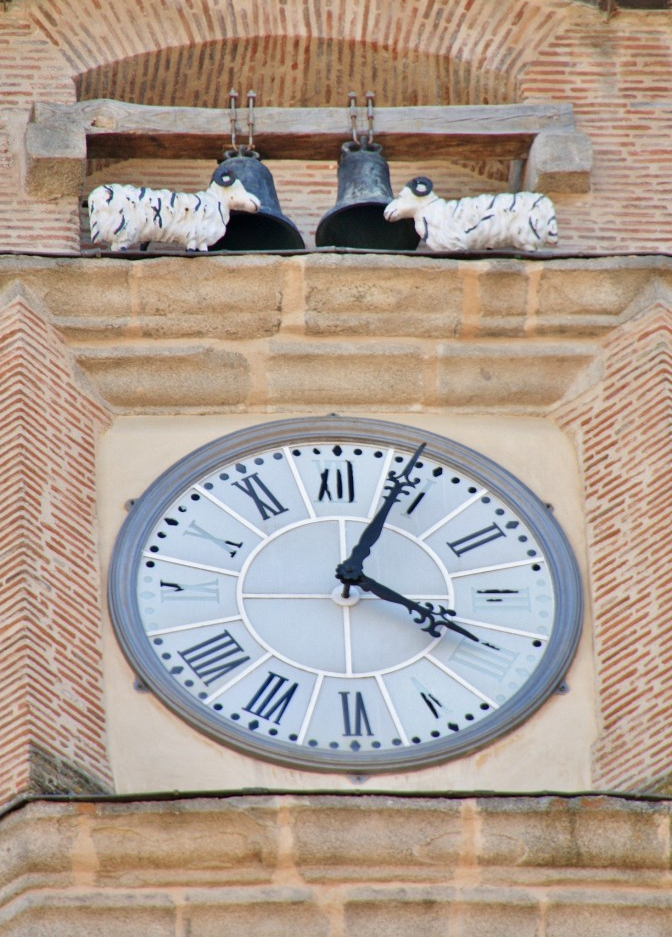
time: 4:04
